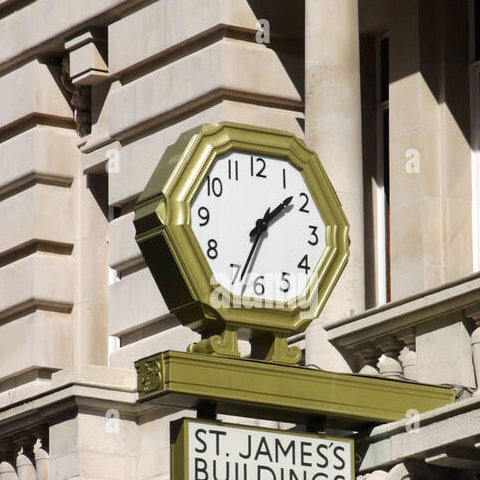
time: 1:33
